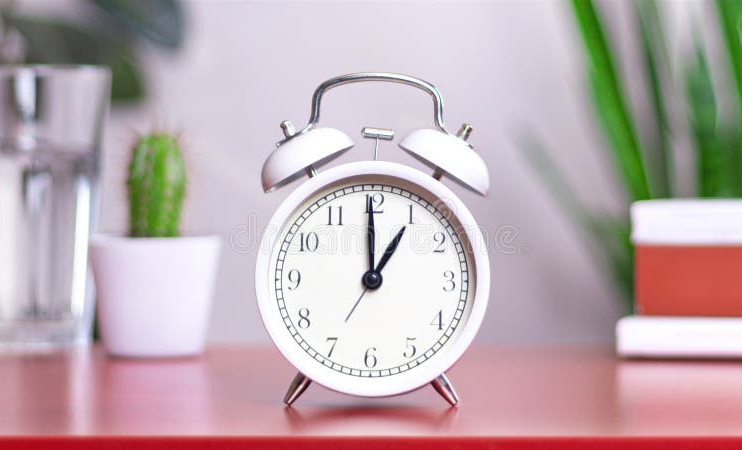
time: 1:00
